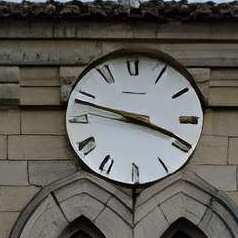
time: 3:47
